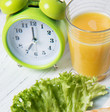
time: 6:59
